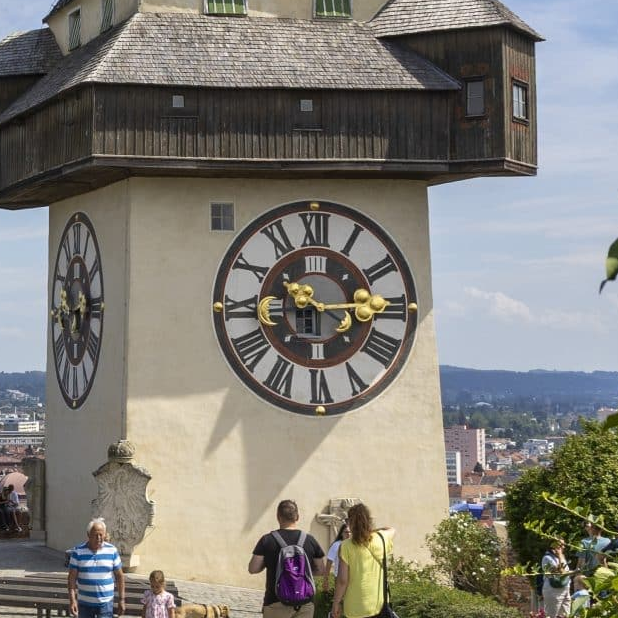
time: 10:15
